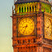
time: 8:34
